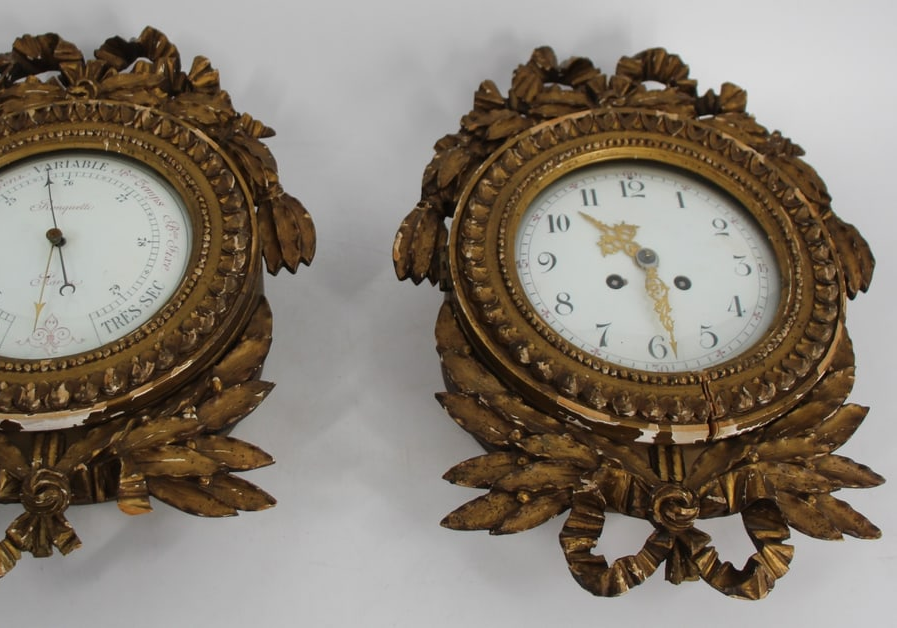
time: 10:28
